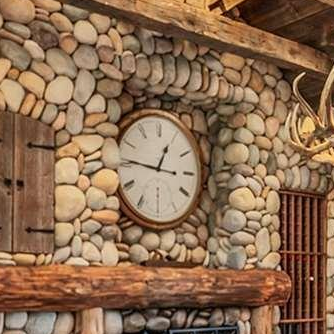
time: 12:46
